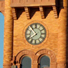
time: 7:53
